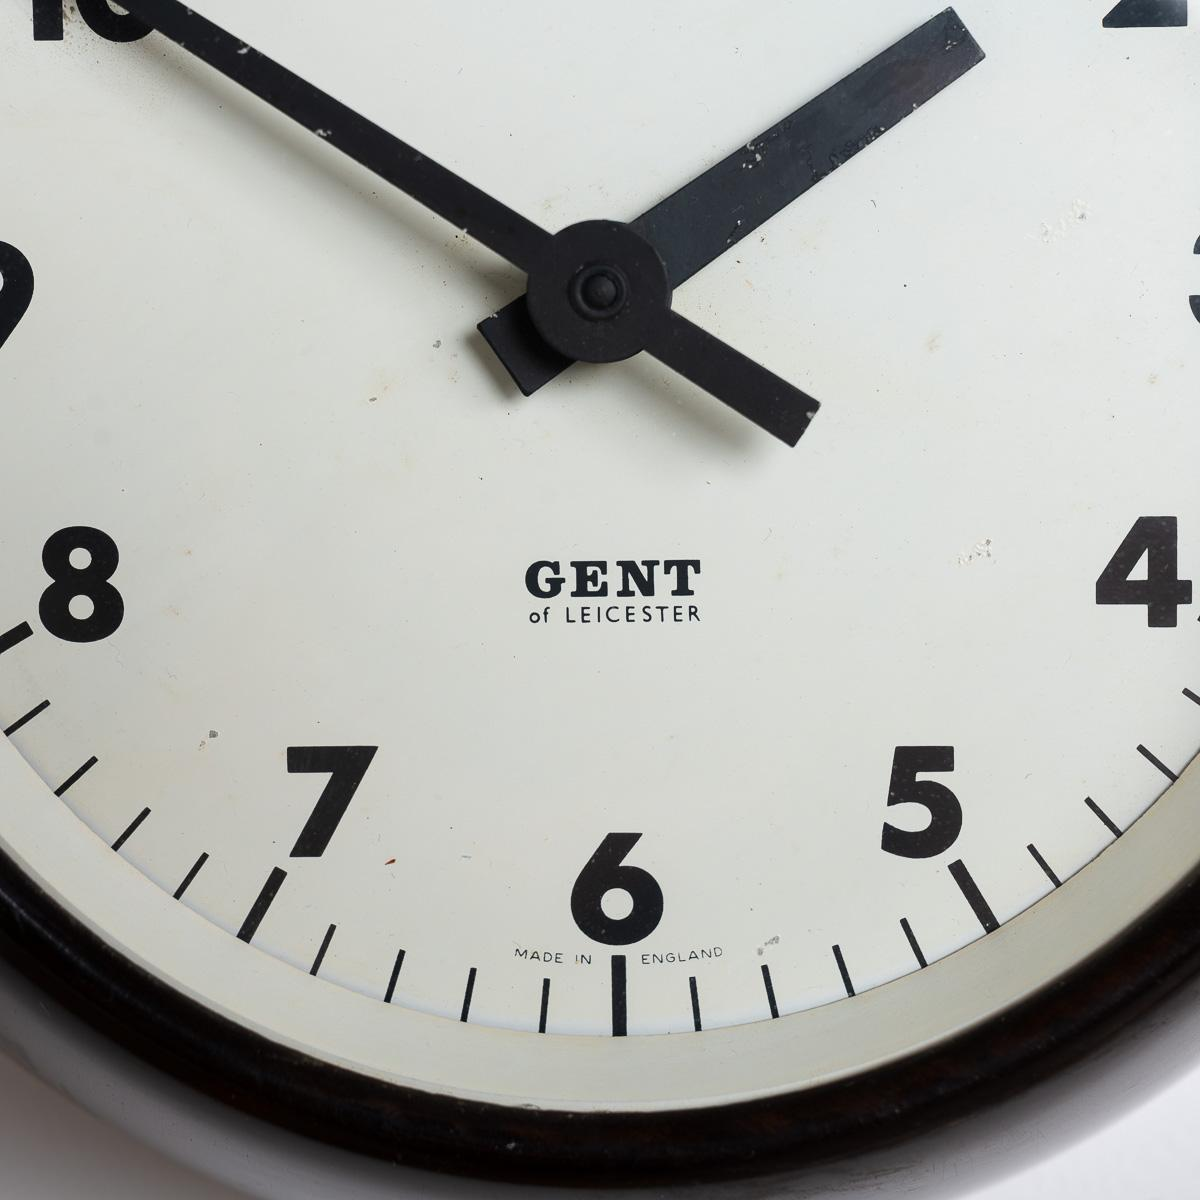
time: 1:50
